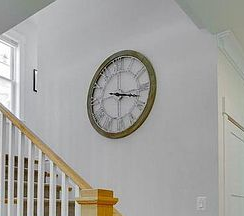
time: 3:17
